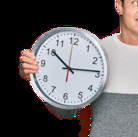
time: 10:13
